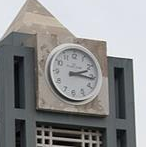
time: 2:15
